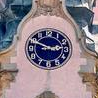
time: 2:49
